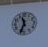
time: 11:33
